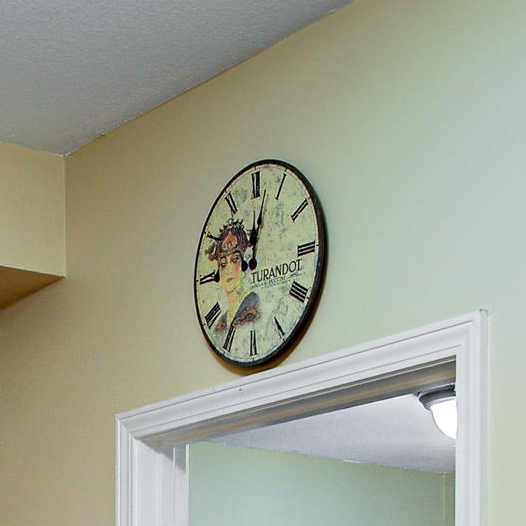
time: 12:02
